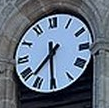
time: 7:30
